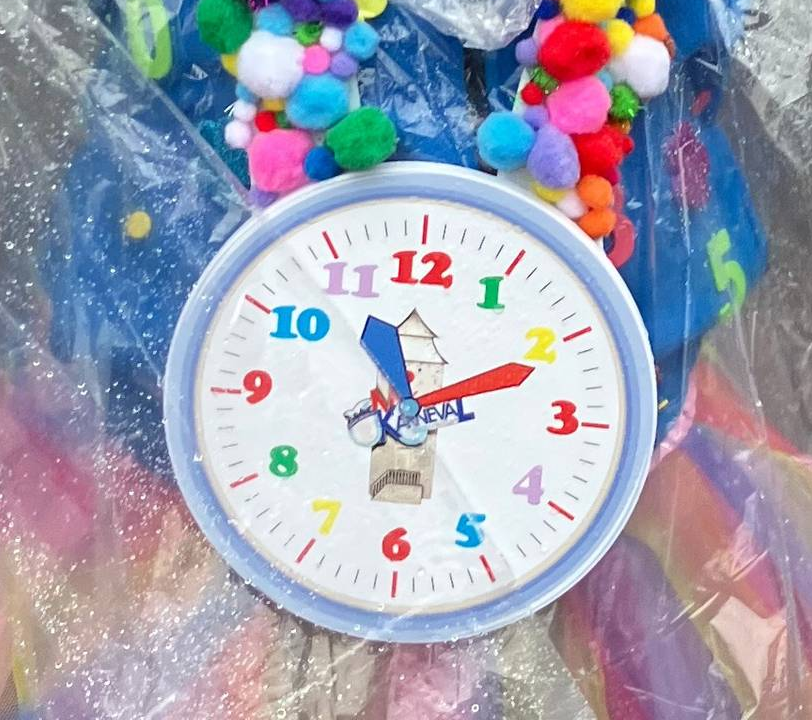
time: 11:11
